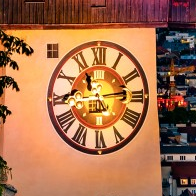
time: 11:13
